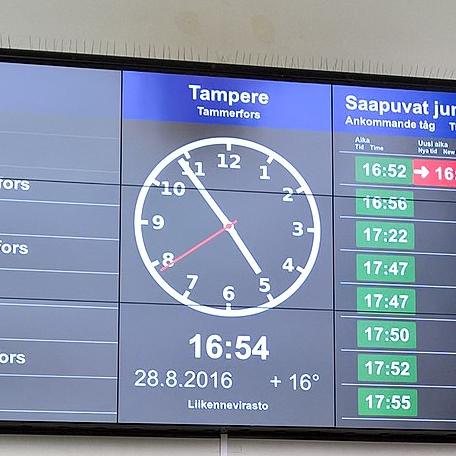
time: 4:53
